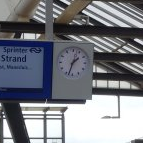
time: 1:33
